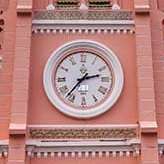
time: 2:36
